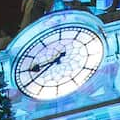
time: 8:38
